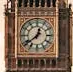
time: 12:38
